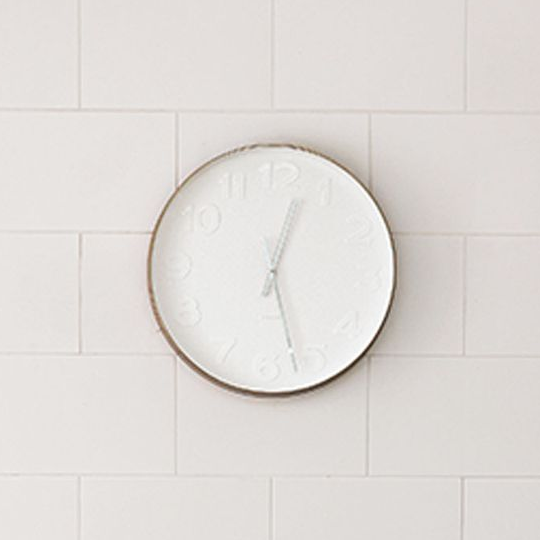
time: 12:27
